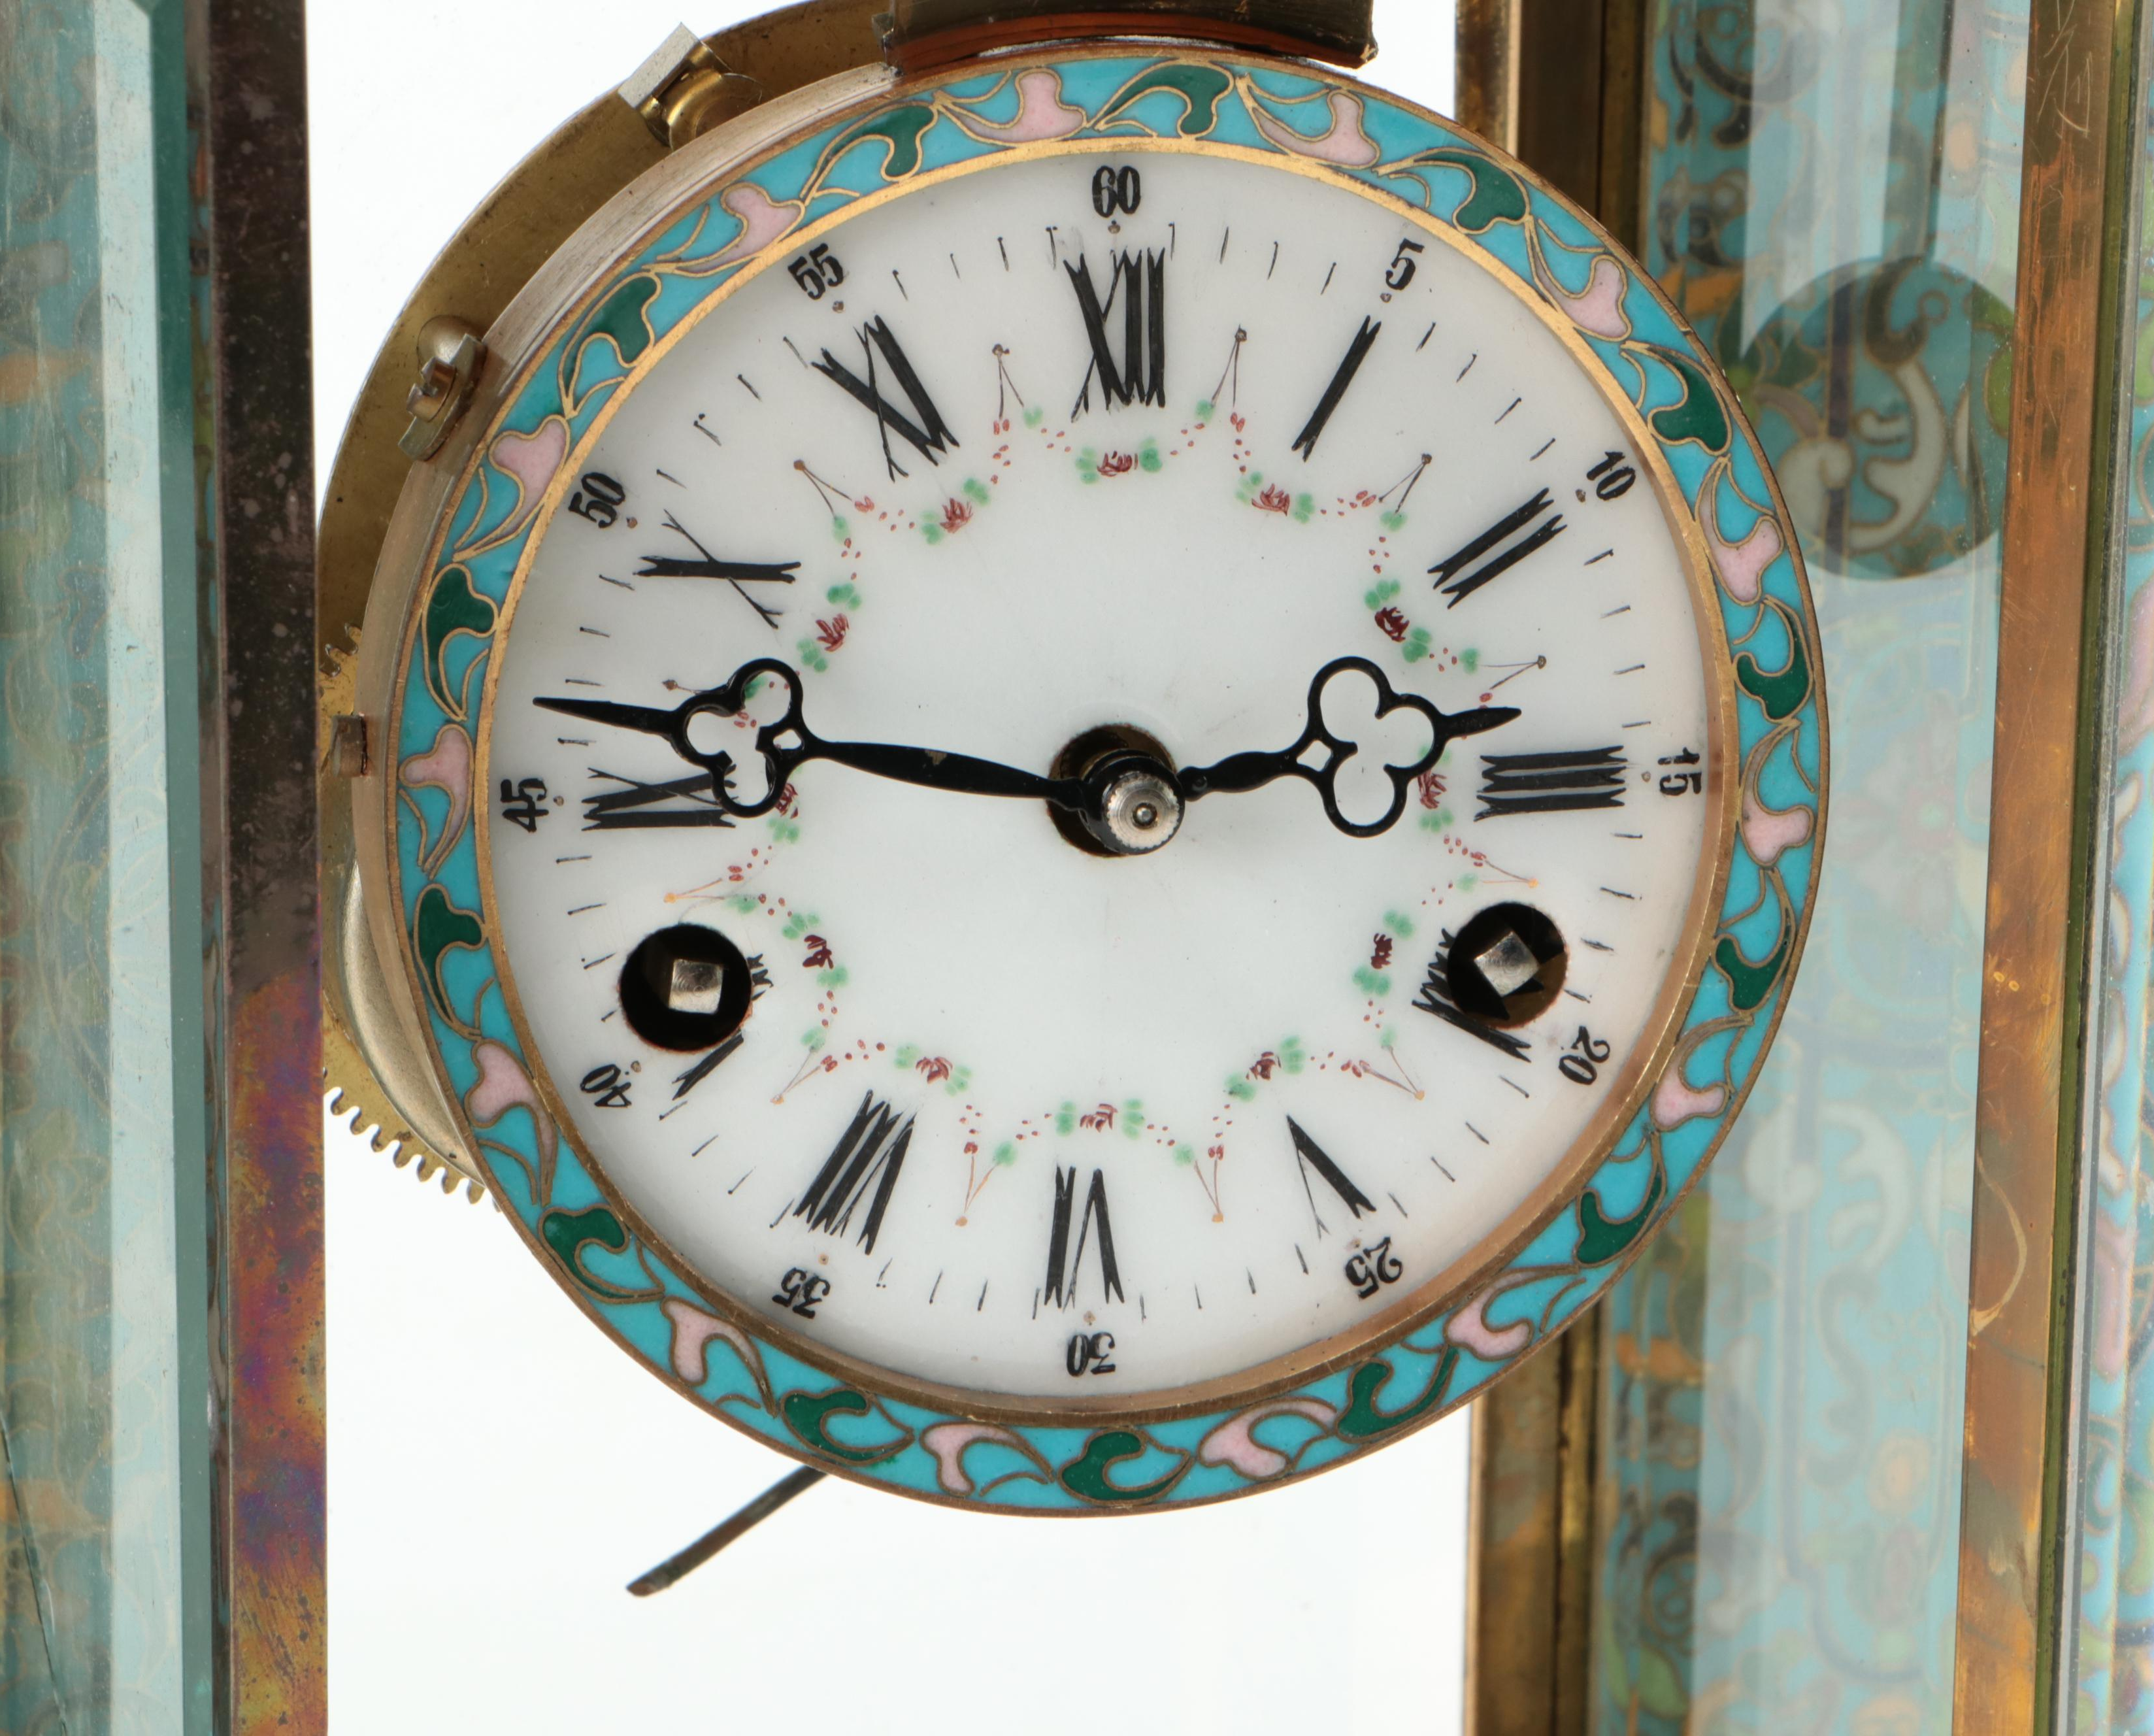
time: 2:46
